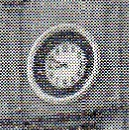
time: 8:49
